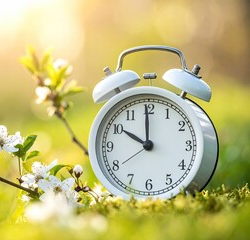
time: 9:59
